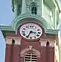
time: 3:34
